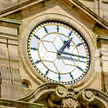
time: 1:15
